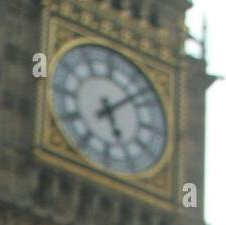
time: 5:07
